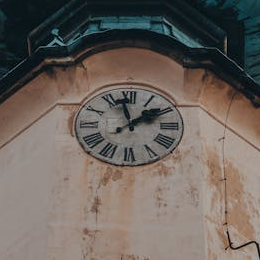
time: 1:57
